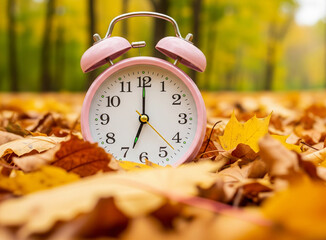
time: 7:00
